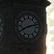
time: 8:12
